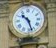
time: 10:27
